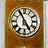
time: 4:55
